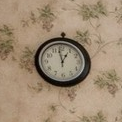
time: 12:58
